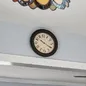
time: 10:20
